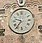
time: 9:36
